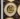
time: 12:52
